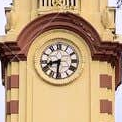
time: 8:31
